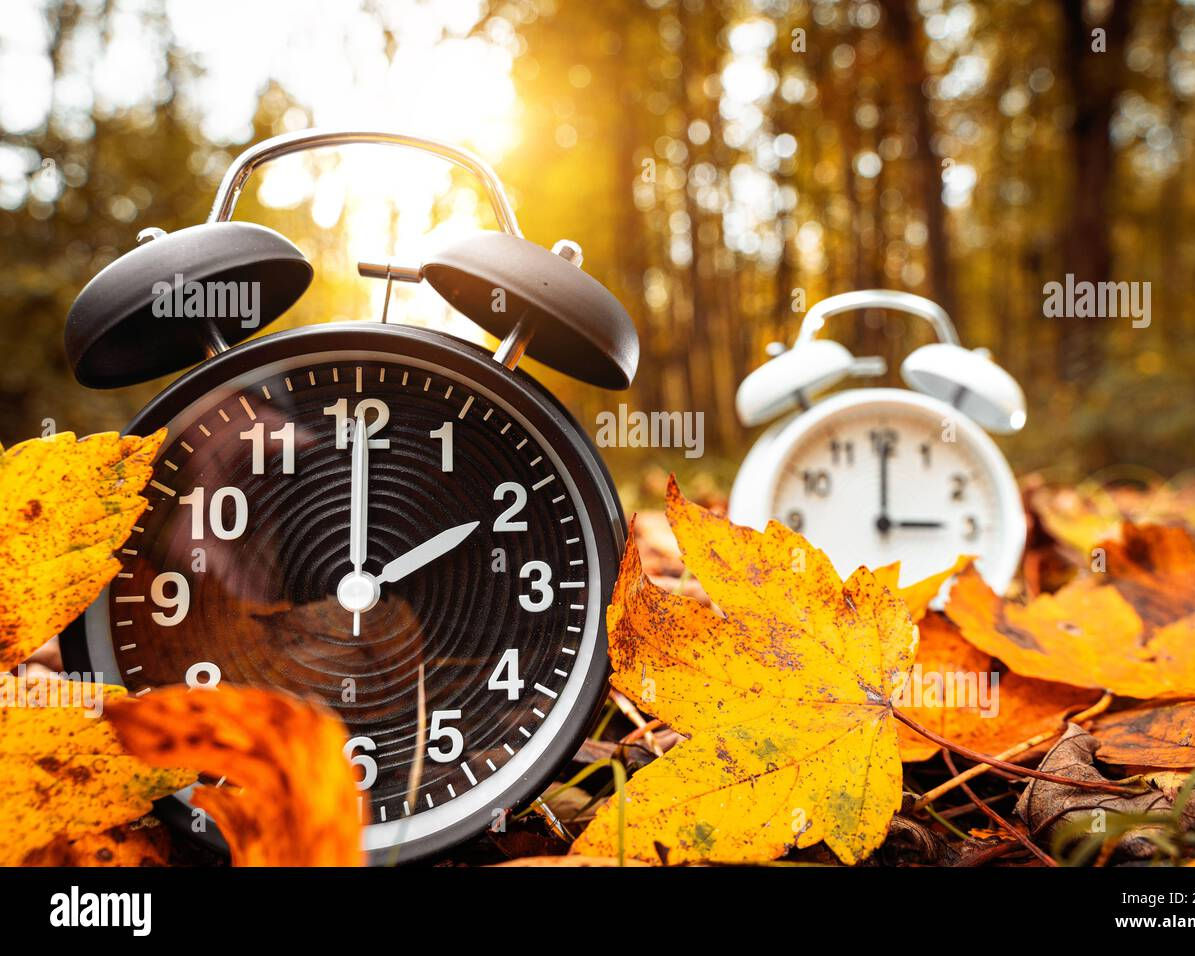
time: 2:00
